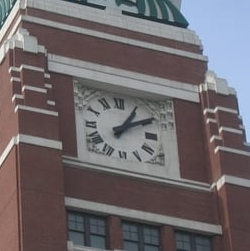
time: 1:09
